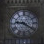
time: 9:20
